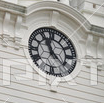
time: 11:22
